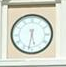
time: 5:31
